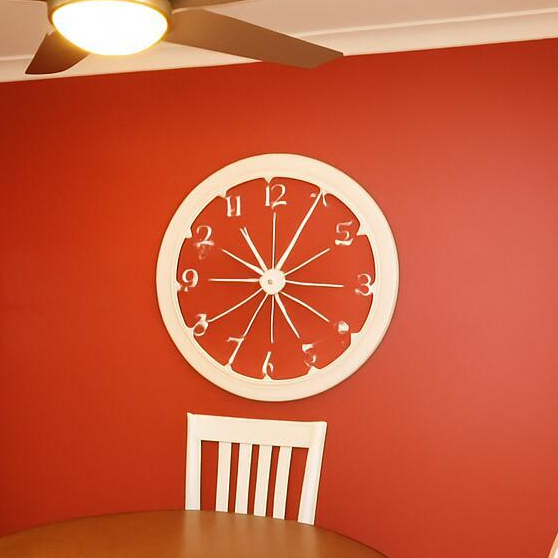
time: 11:04
